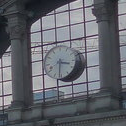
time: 3:31
